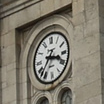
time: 3:37
